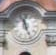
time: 11:25
